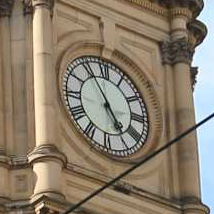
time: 4:54
